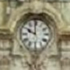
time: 9:59
